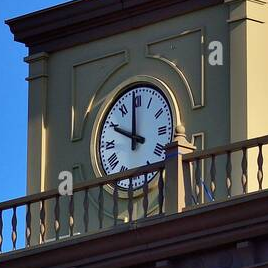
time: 9:59
